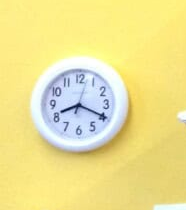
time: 8:19
